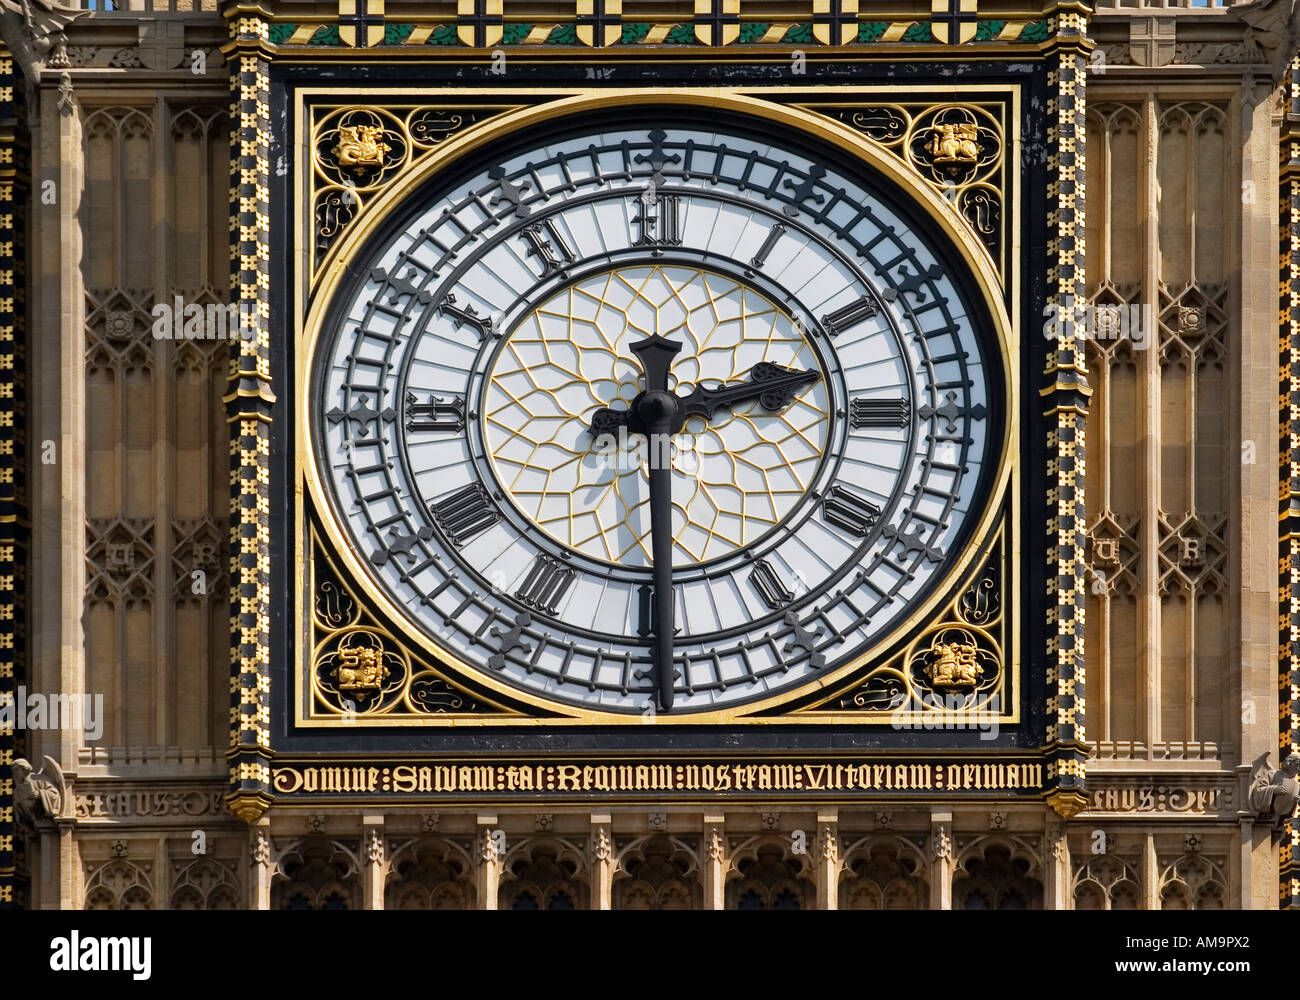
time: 2:29
